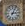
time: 3:04
